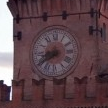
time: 8:39
